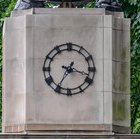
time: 3:35
